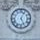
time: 5:04
